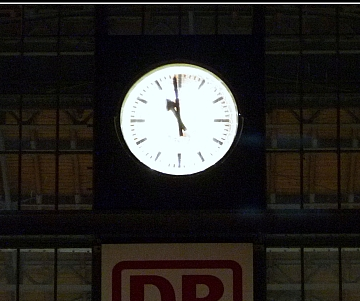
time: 10:58
